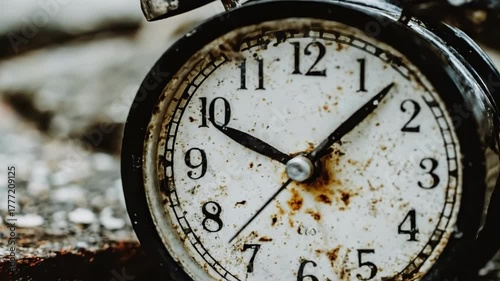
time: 10:07
